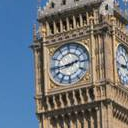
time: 2:44
